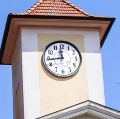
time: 11:43
